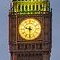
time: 9:30
